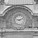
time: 9:11
